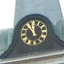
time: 11:51
